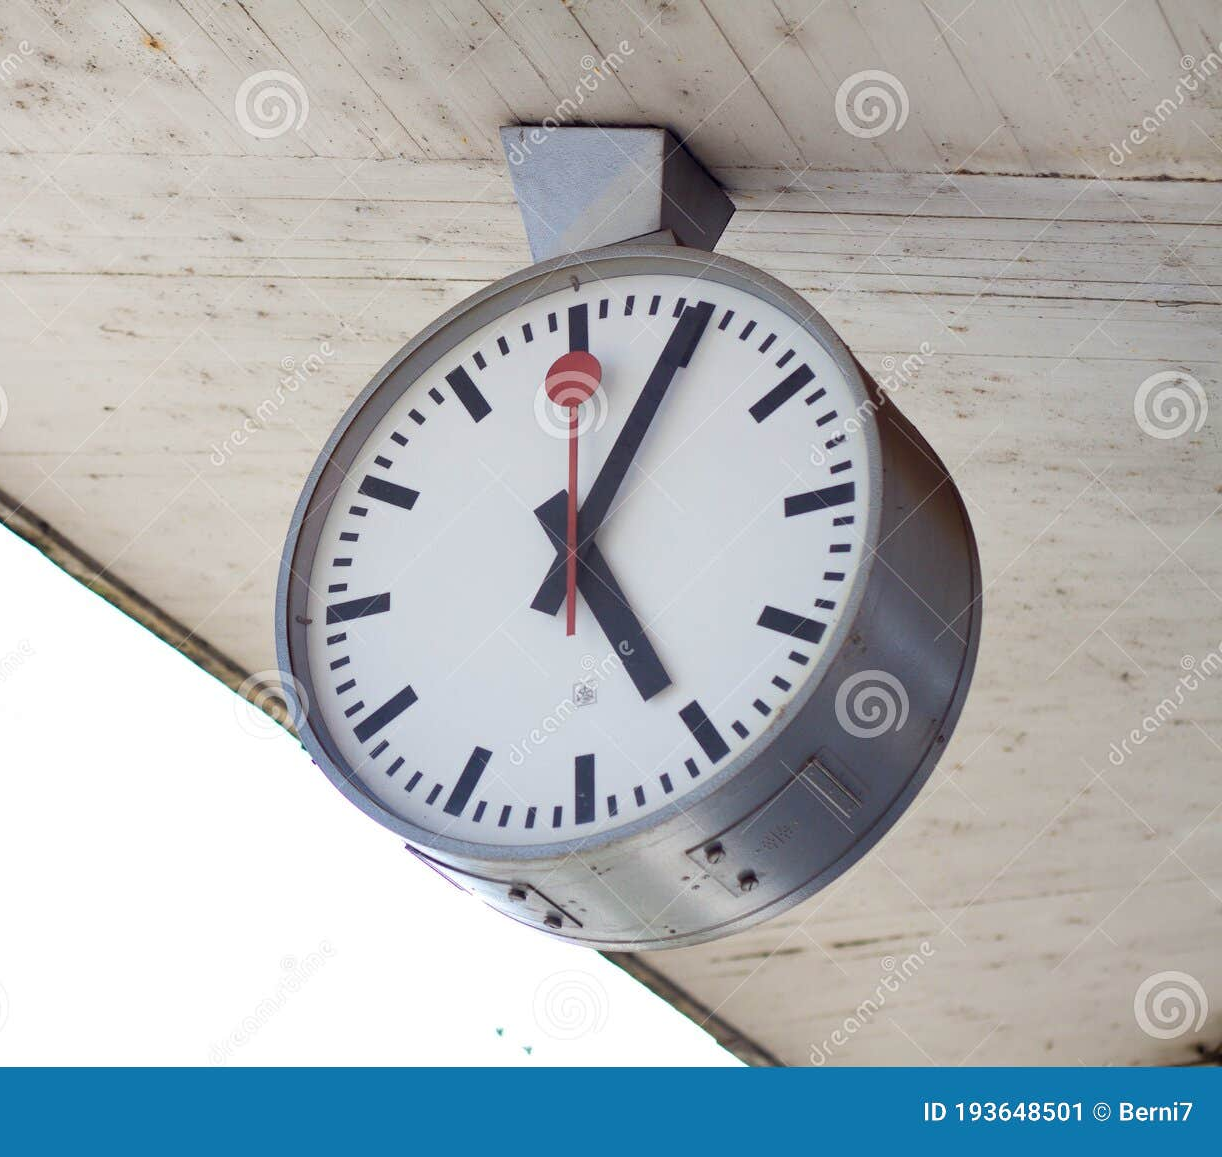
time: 5:05
